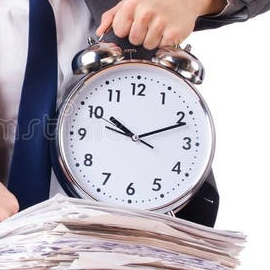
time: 10:11
